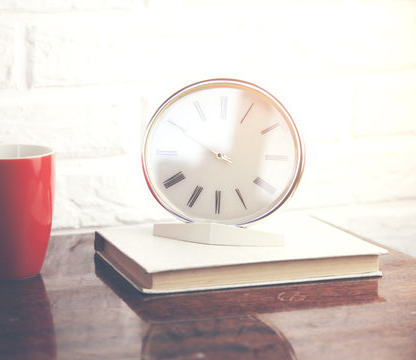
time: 3:50
